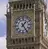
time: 1:24
